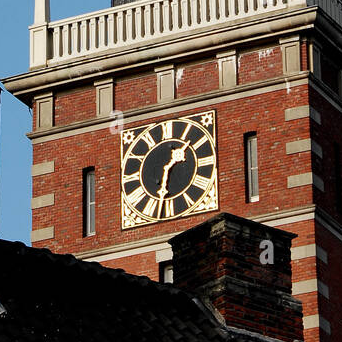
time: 1:32
